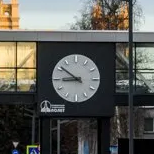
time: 8:51
